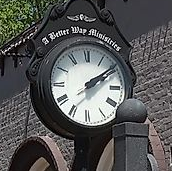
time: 2:09
